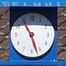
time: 5:27
